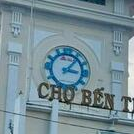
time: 3:06
